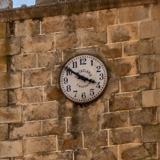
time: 3:50
